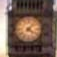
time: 4:07
